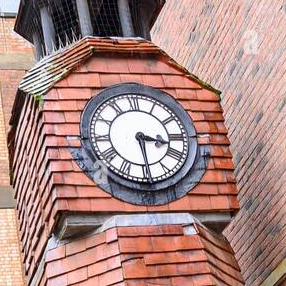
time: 3:29
